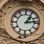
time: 1:13
